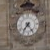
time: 7:24
